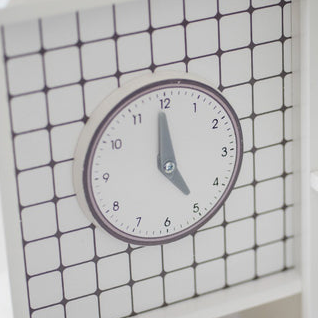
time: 4:59
